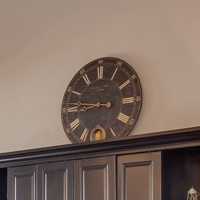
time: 8:46
